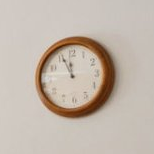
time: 11:56
